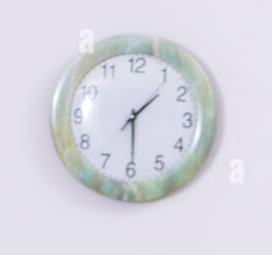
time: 1:29
